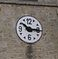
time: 10:15
